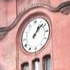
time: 1:08
